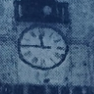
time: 11:45
